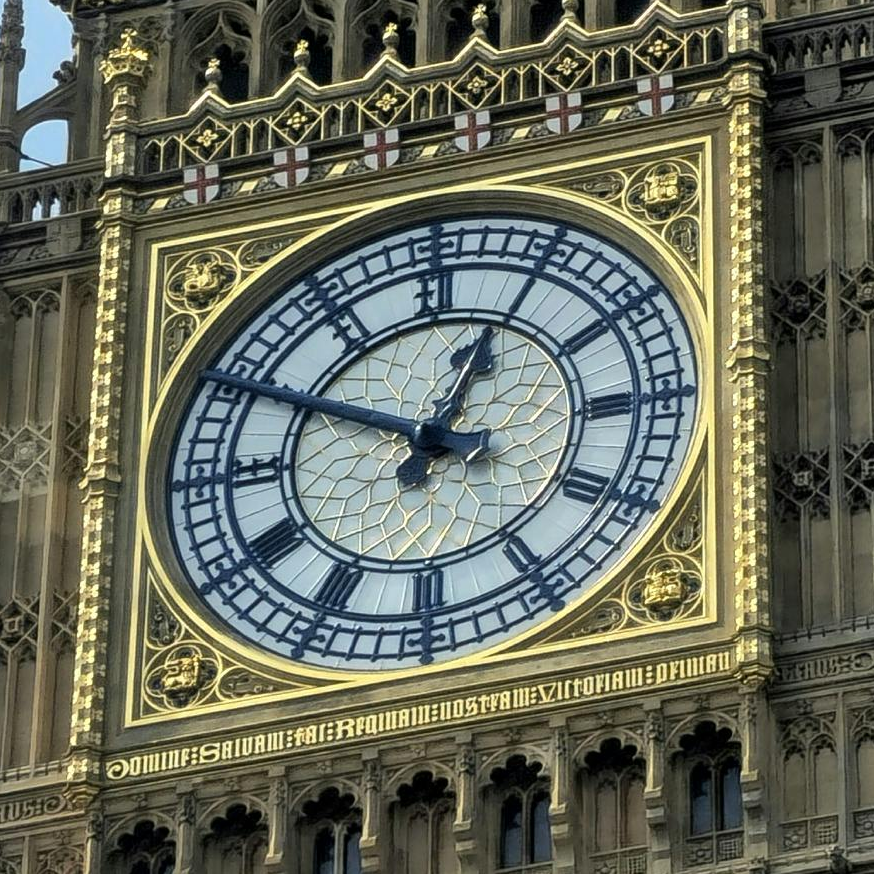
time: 12:49
